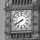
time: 7:40
